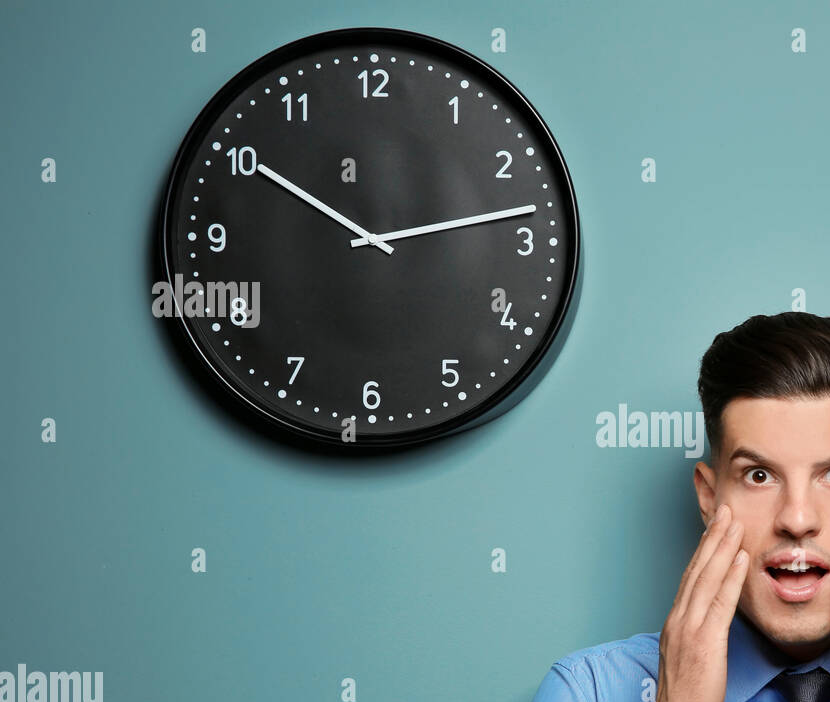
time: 10:13
